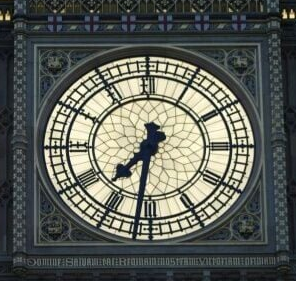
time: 7:31
